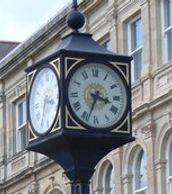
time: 3:33
